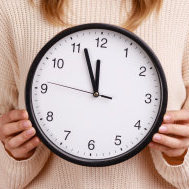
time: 11:56
